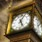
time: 5:04
